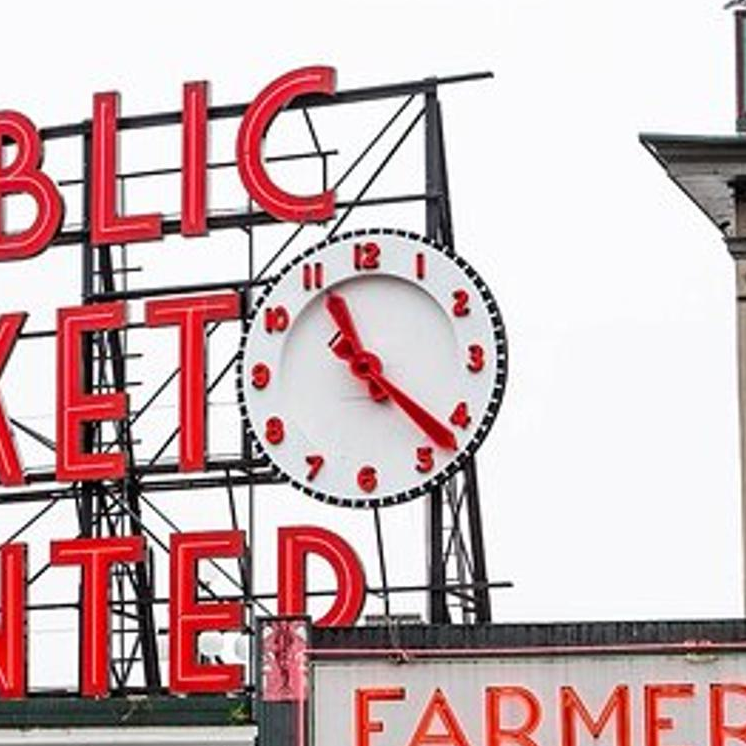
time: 11:22
